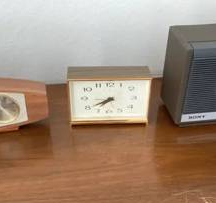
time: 7:40
